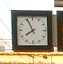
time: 7:55
